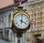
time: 4:01
